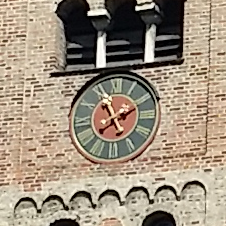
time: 1:56
